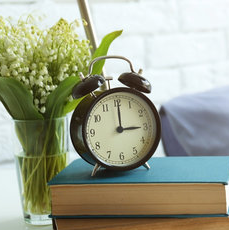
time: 3:00
